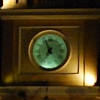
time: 6:56
